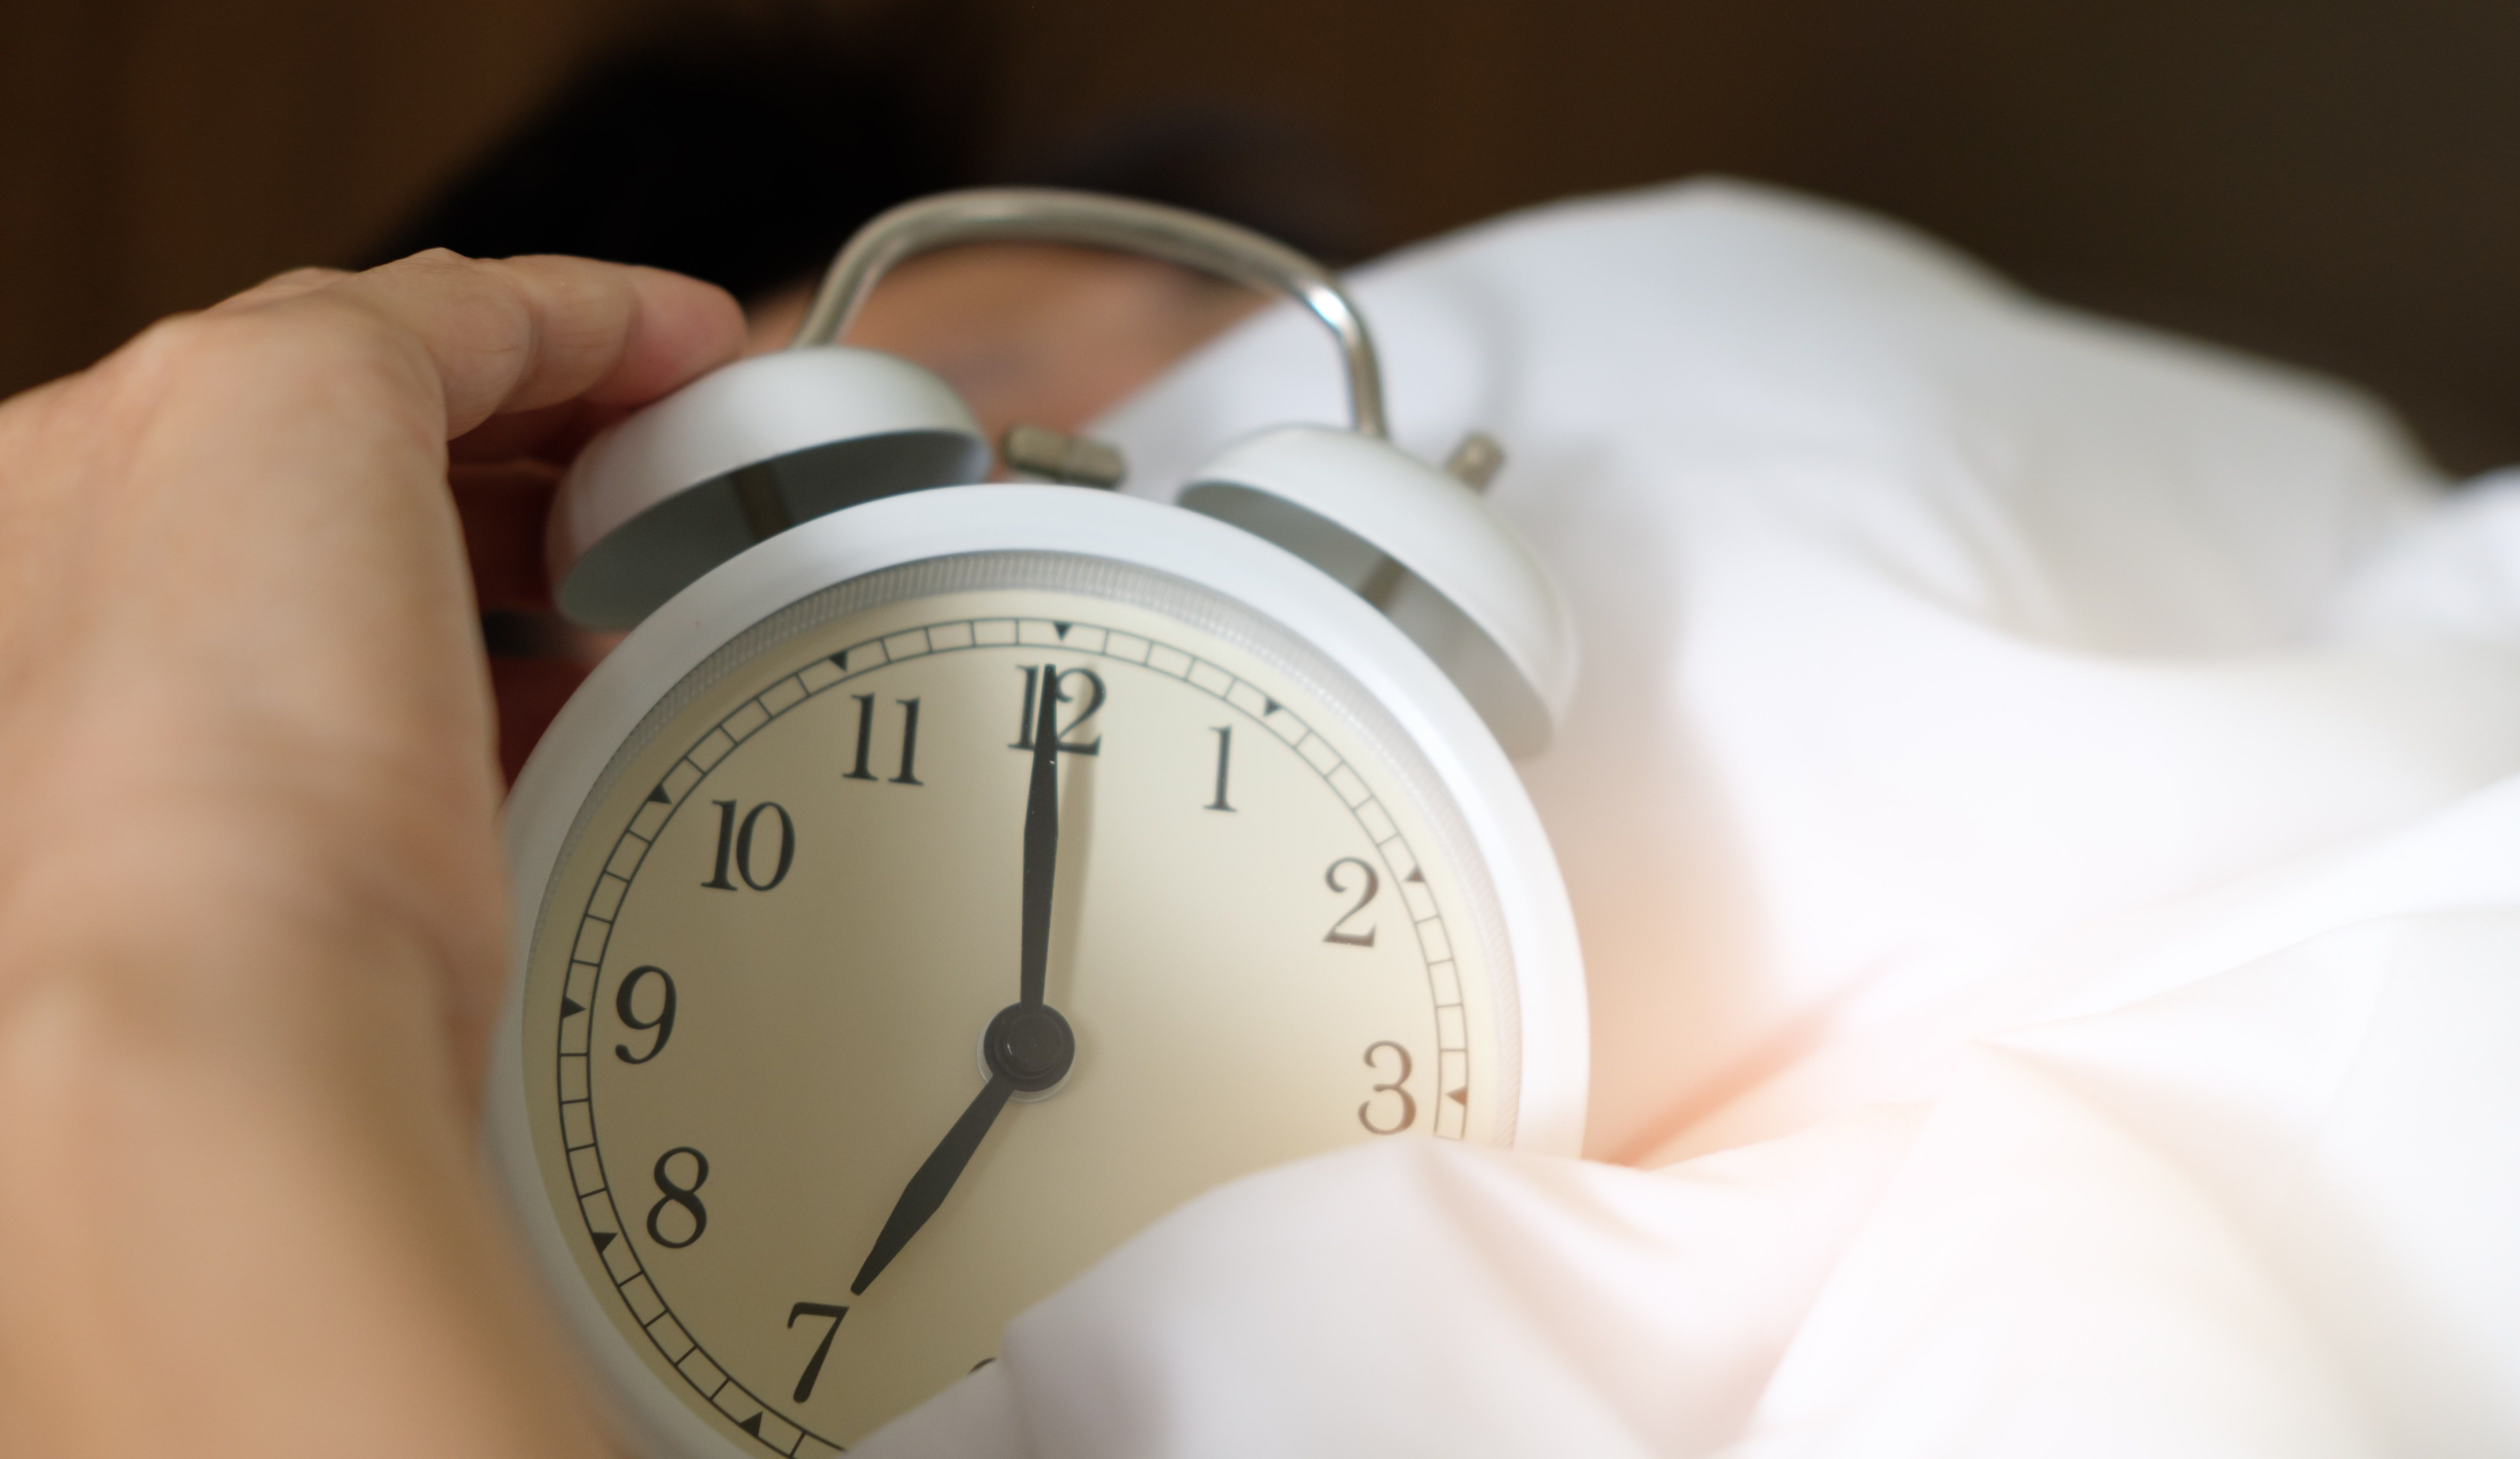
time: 7:00
